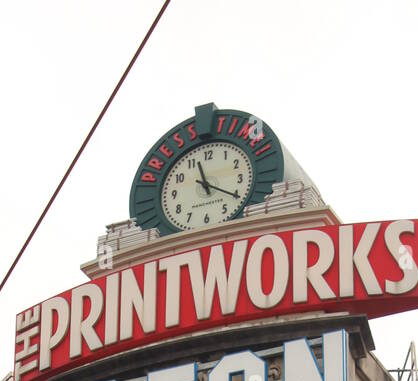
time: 11:20
